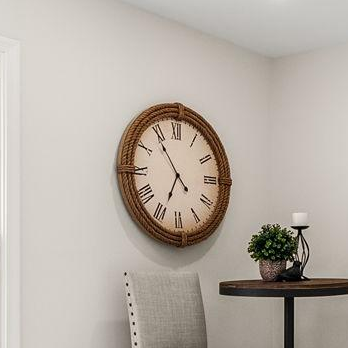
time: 6:54
